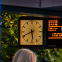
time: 5:41
